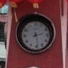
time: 2:28
